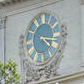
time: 4:16
